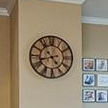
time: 4:42
